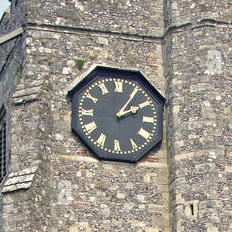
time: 2:05
